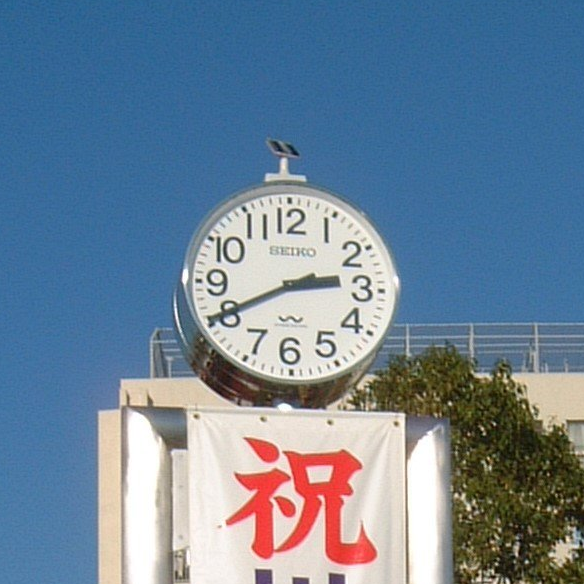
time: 2:40
